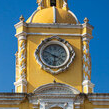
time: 5:49
